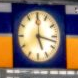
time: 5:17
